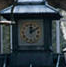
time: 12:09
